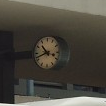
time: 10:41
